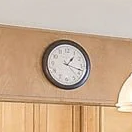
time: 1:17
